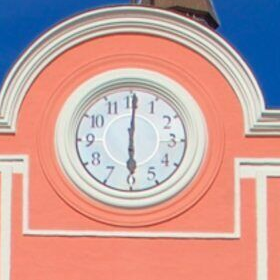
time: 6:00
